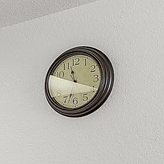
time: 11:19
